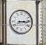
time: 3:13
